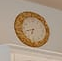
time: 6:41
